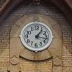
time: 1:16
